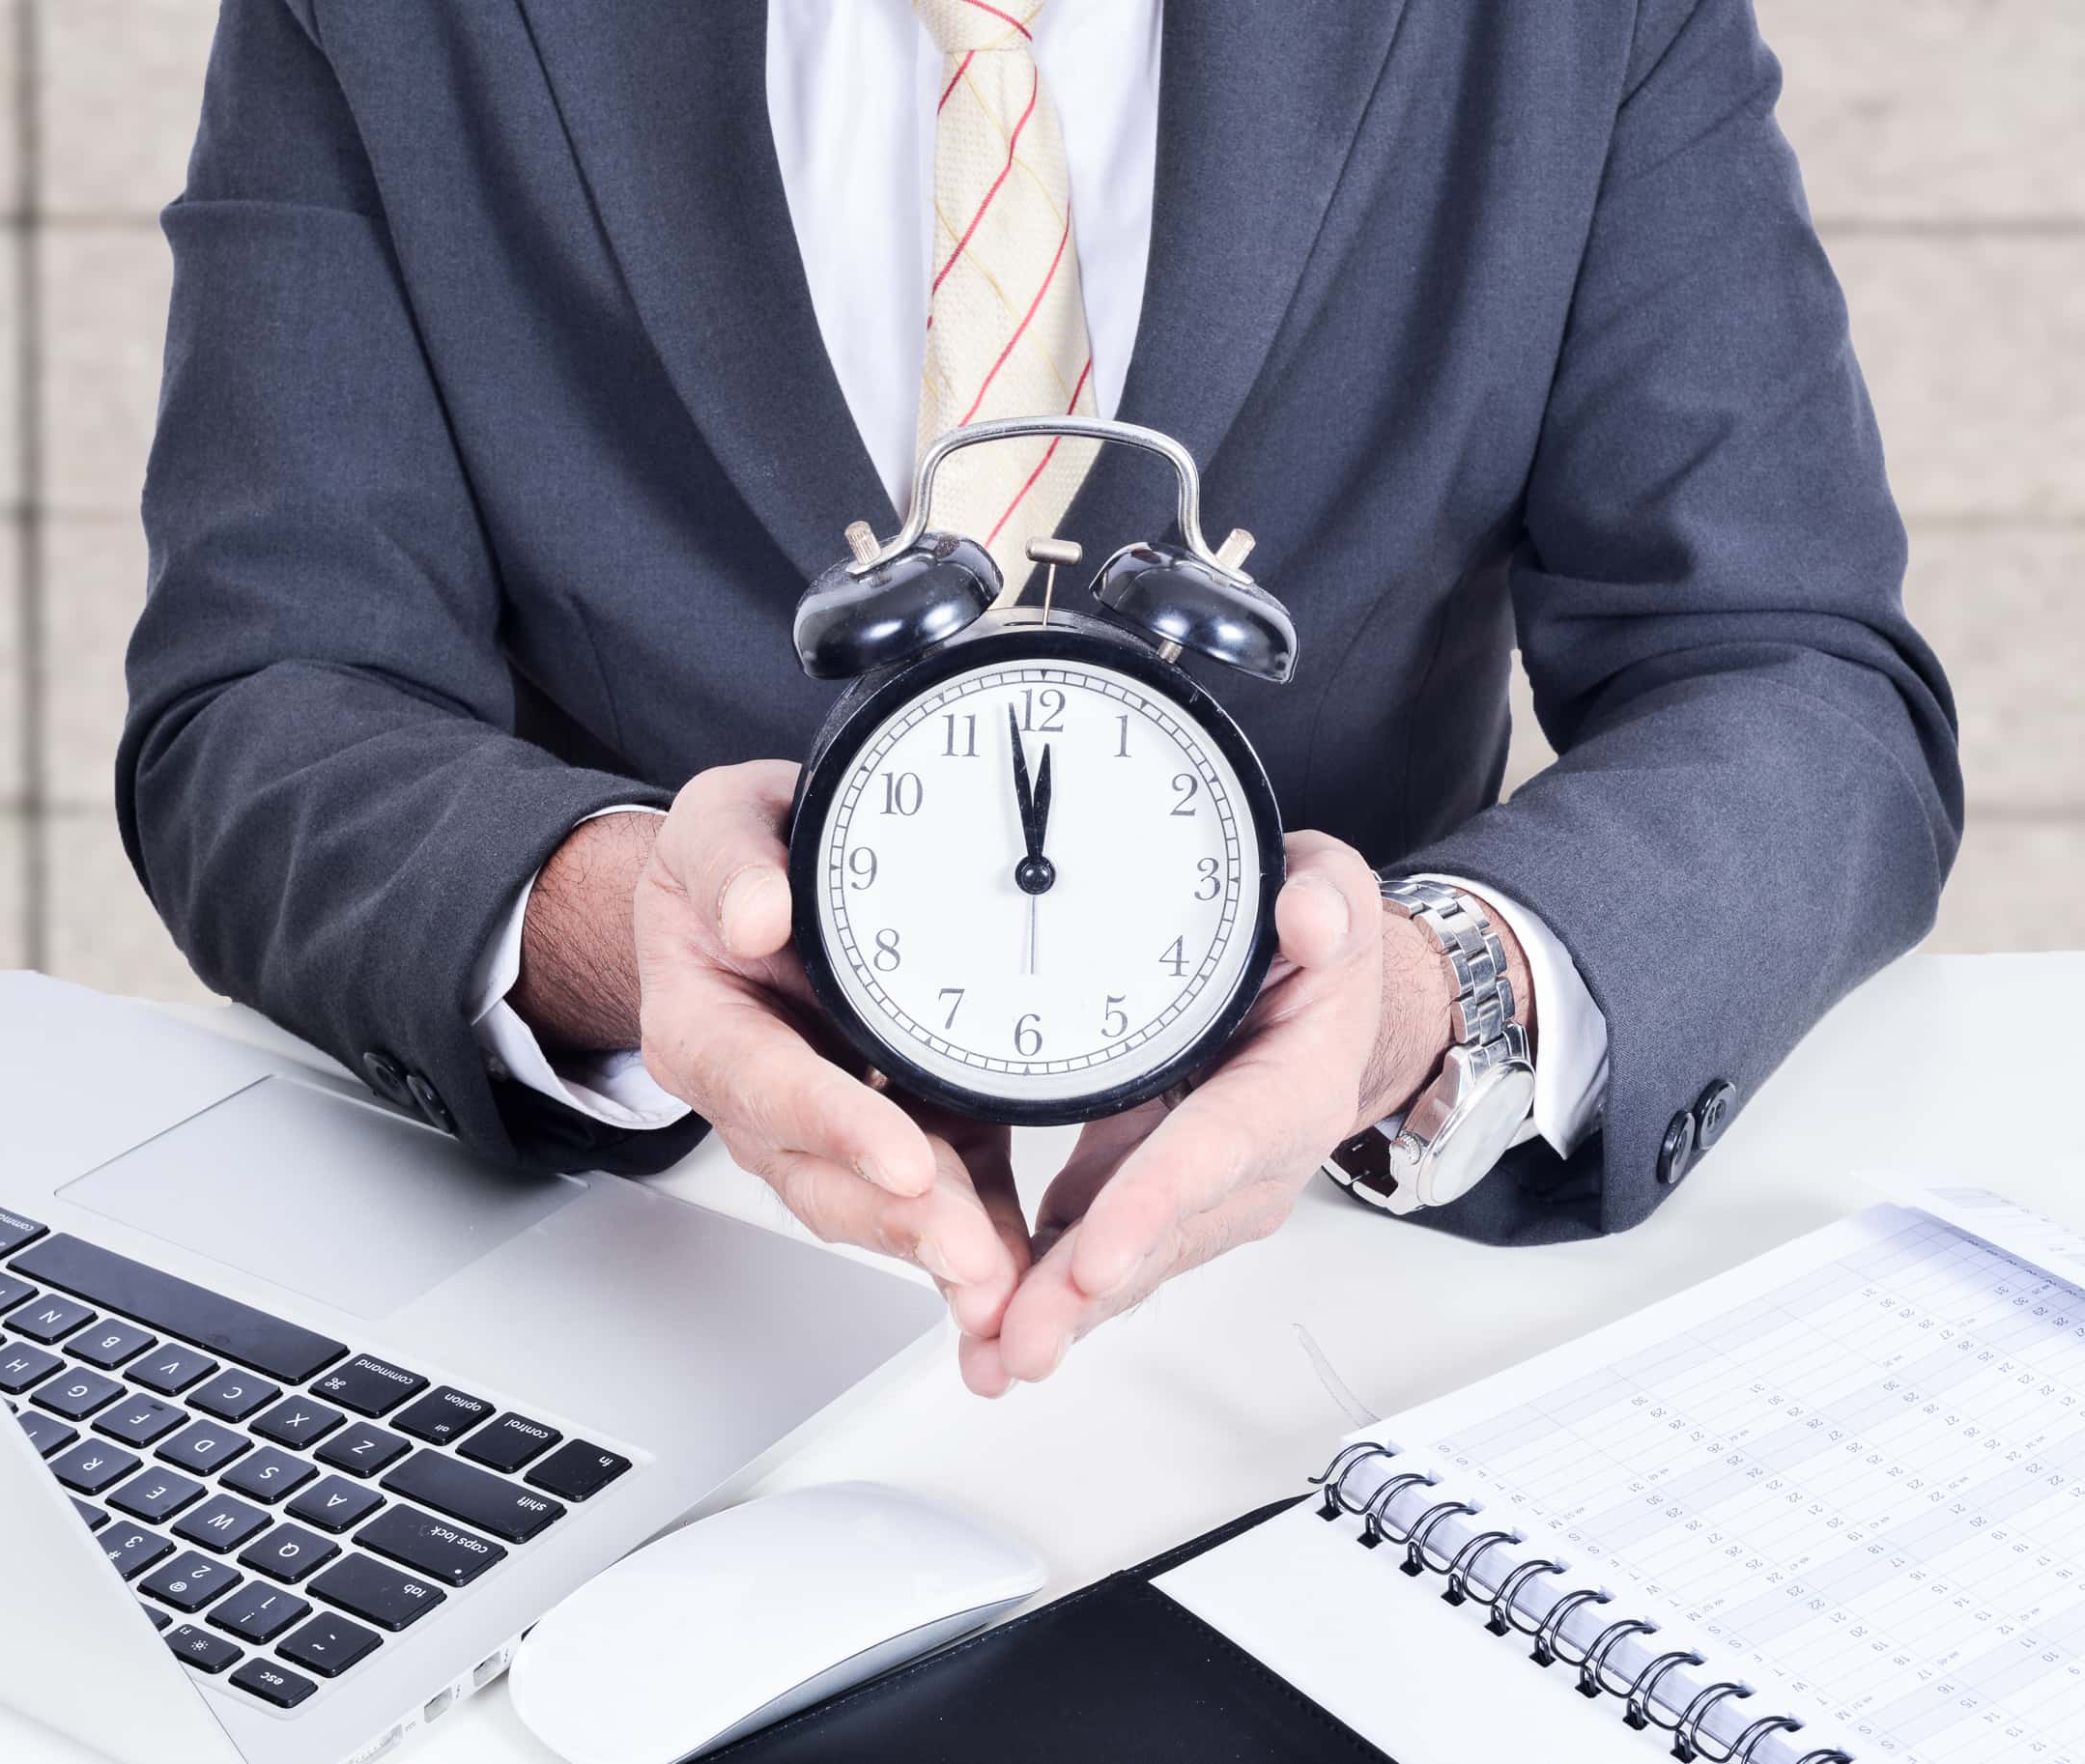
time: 11:58
